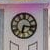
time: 6:16
